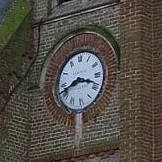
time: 3:42
